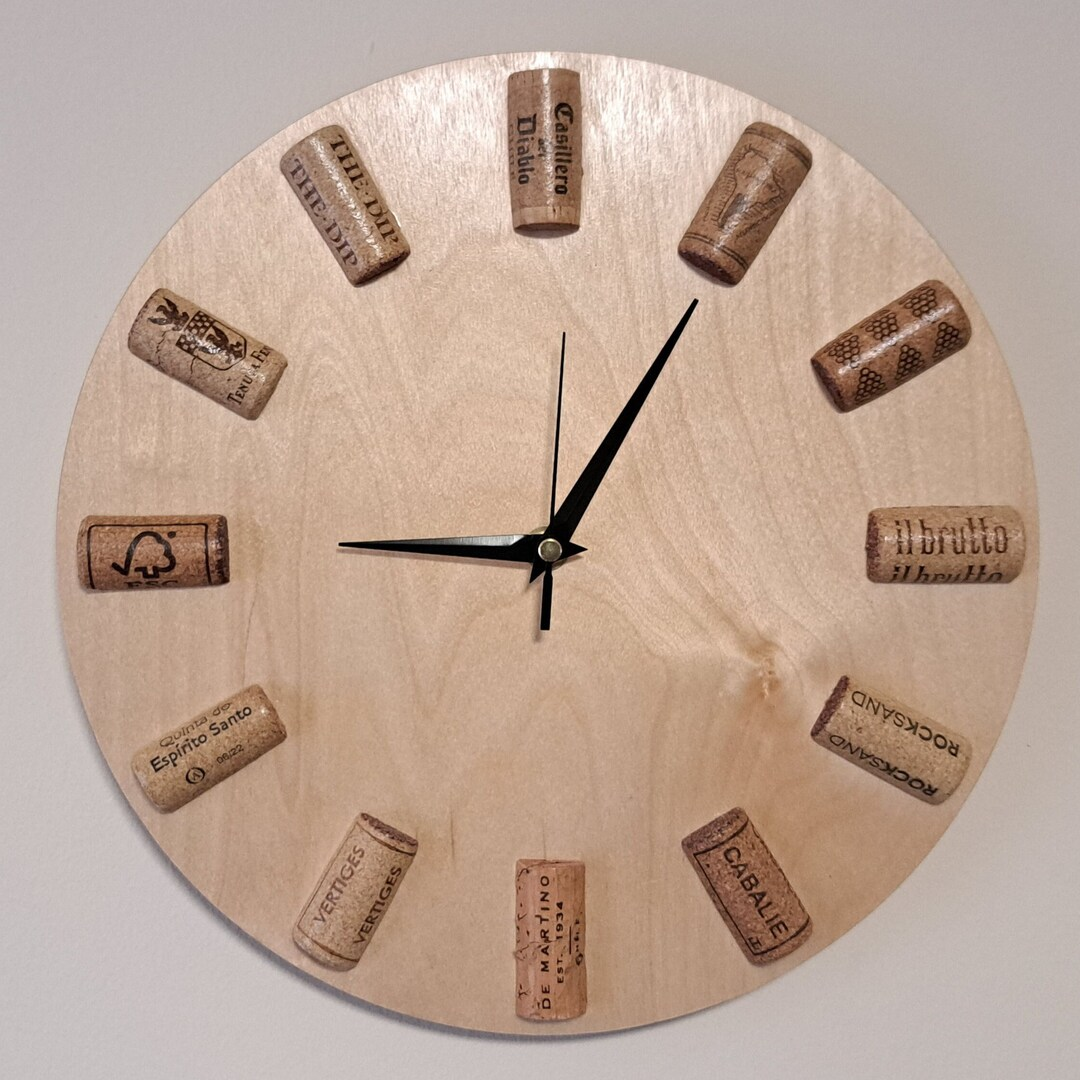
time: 9:05
